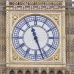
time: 11:26
